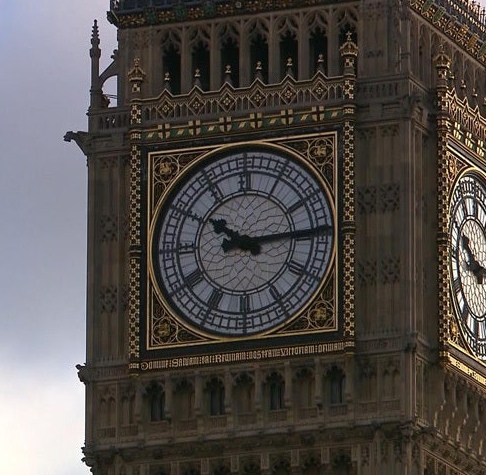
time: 10:14
